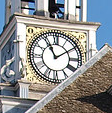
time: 11:09
